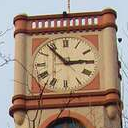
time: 2:53
